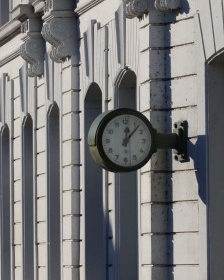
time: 12:07
